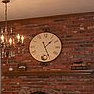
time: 1:26
